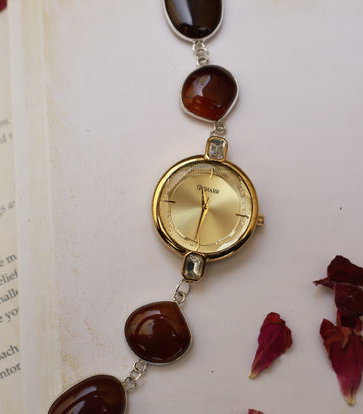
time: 11:32
